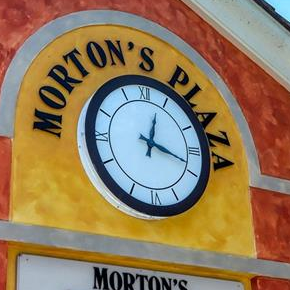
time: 12:18
